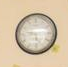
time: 5:14
